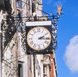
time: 2:16
